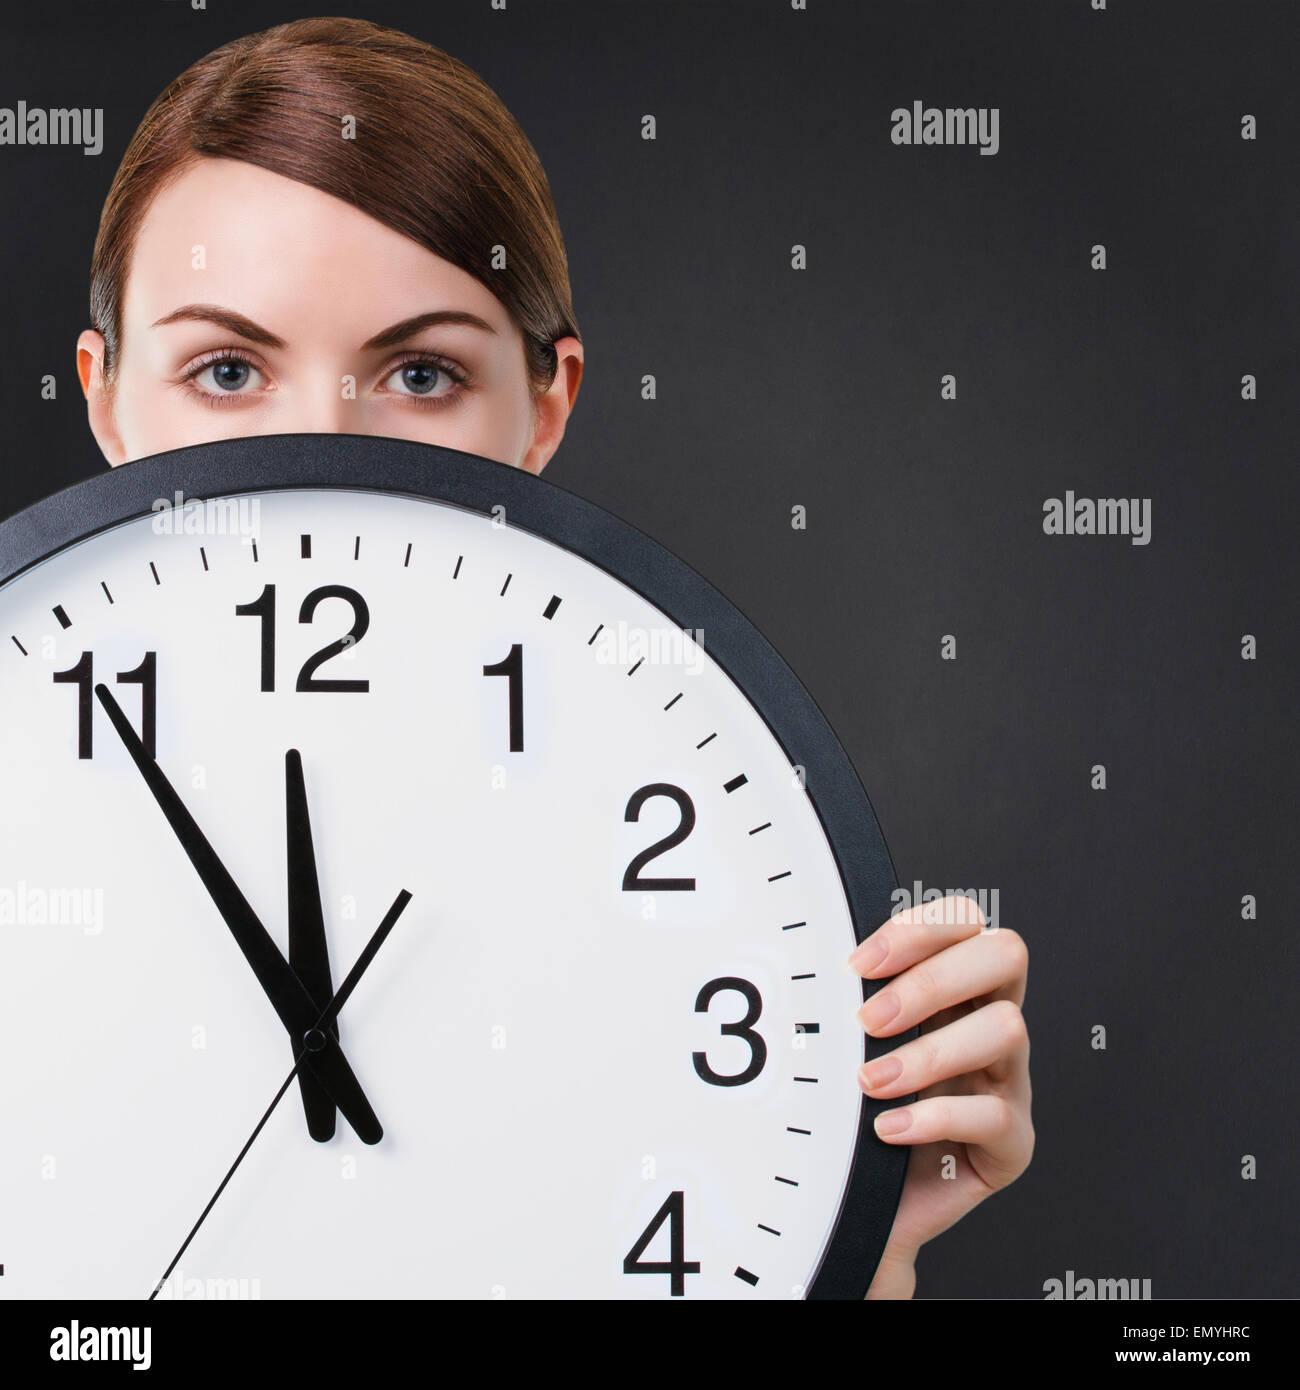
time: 11:54
